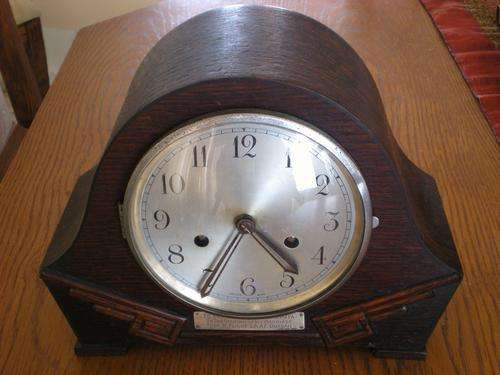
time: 4:35
